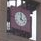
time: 4:01
